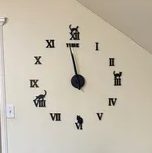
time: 11:58
